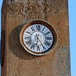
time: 6:24
